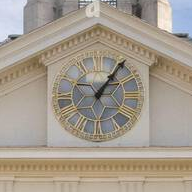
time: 1:05
